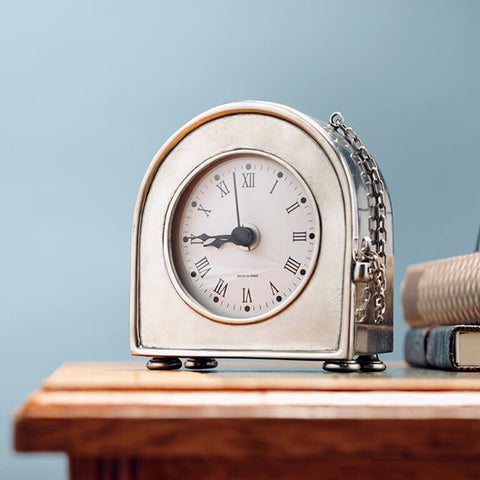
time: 8:44
